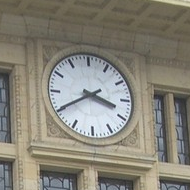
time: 3:40
